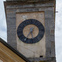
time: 5:35
